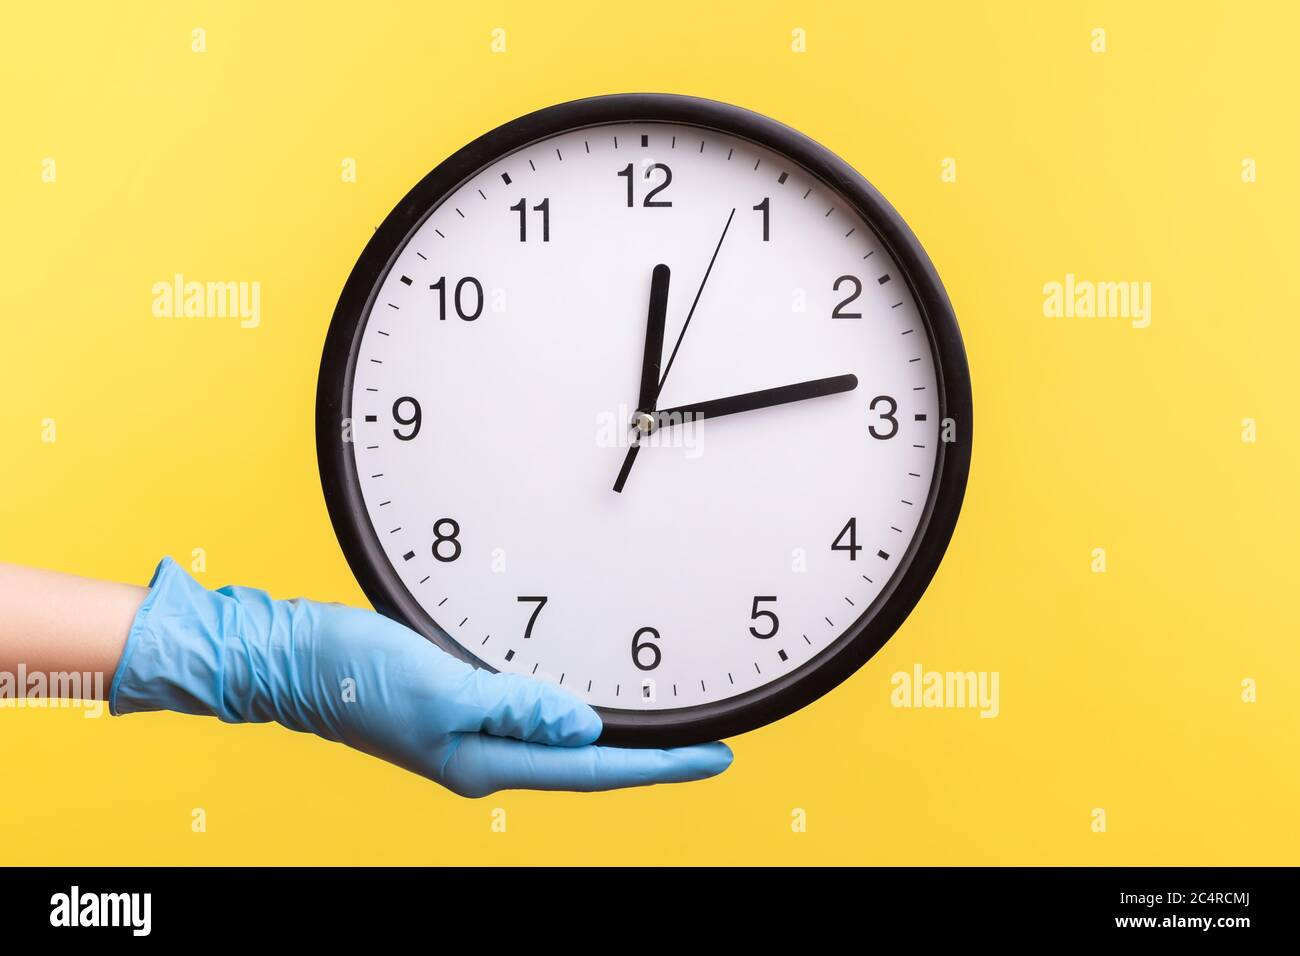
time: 12:13
